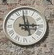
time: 2:58
